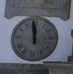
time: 11:58
